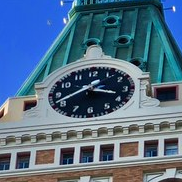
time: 3:40
